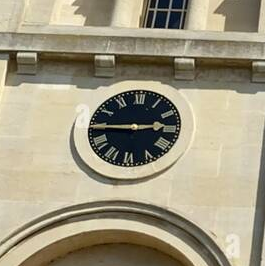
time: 2:45
